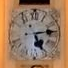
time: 5:13
